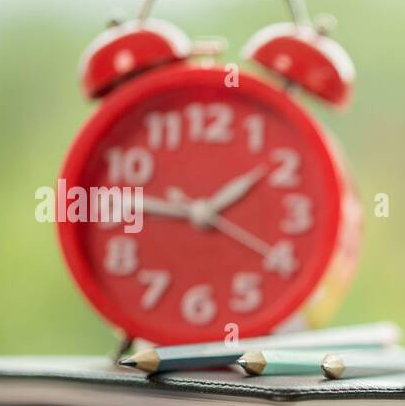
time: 1:46
